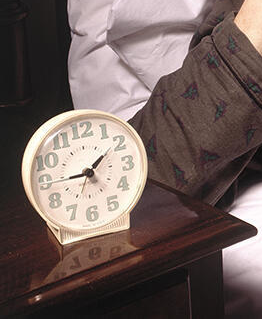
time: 1:44
